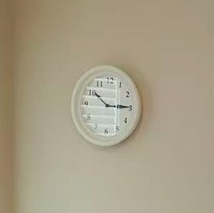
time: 10:14
